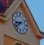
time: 8:38
